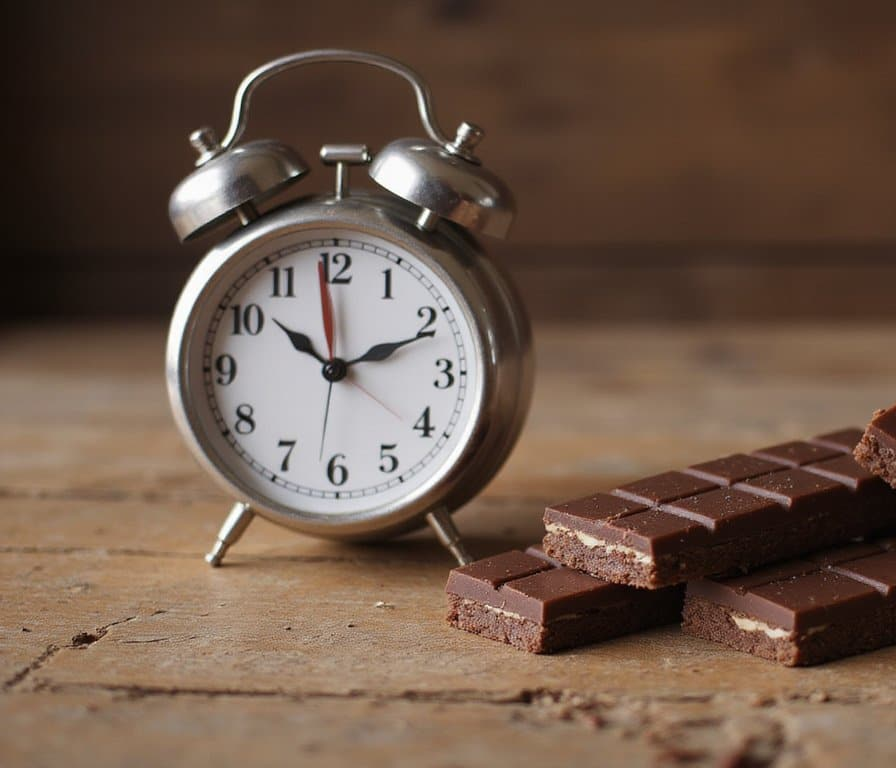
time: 10:11
